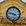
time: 3:47
